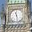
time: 11:28
